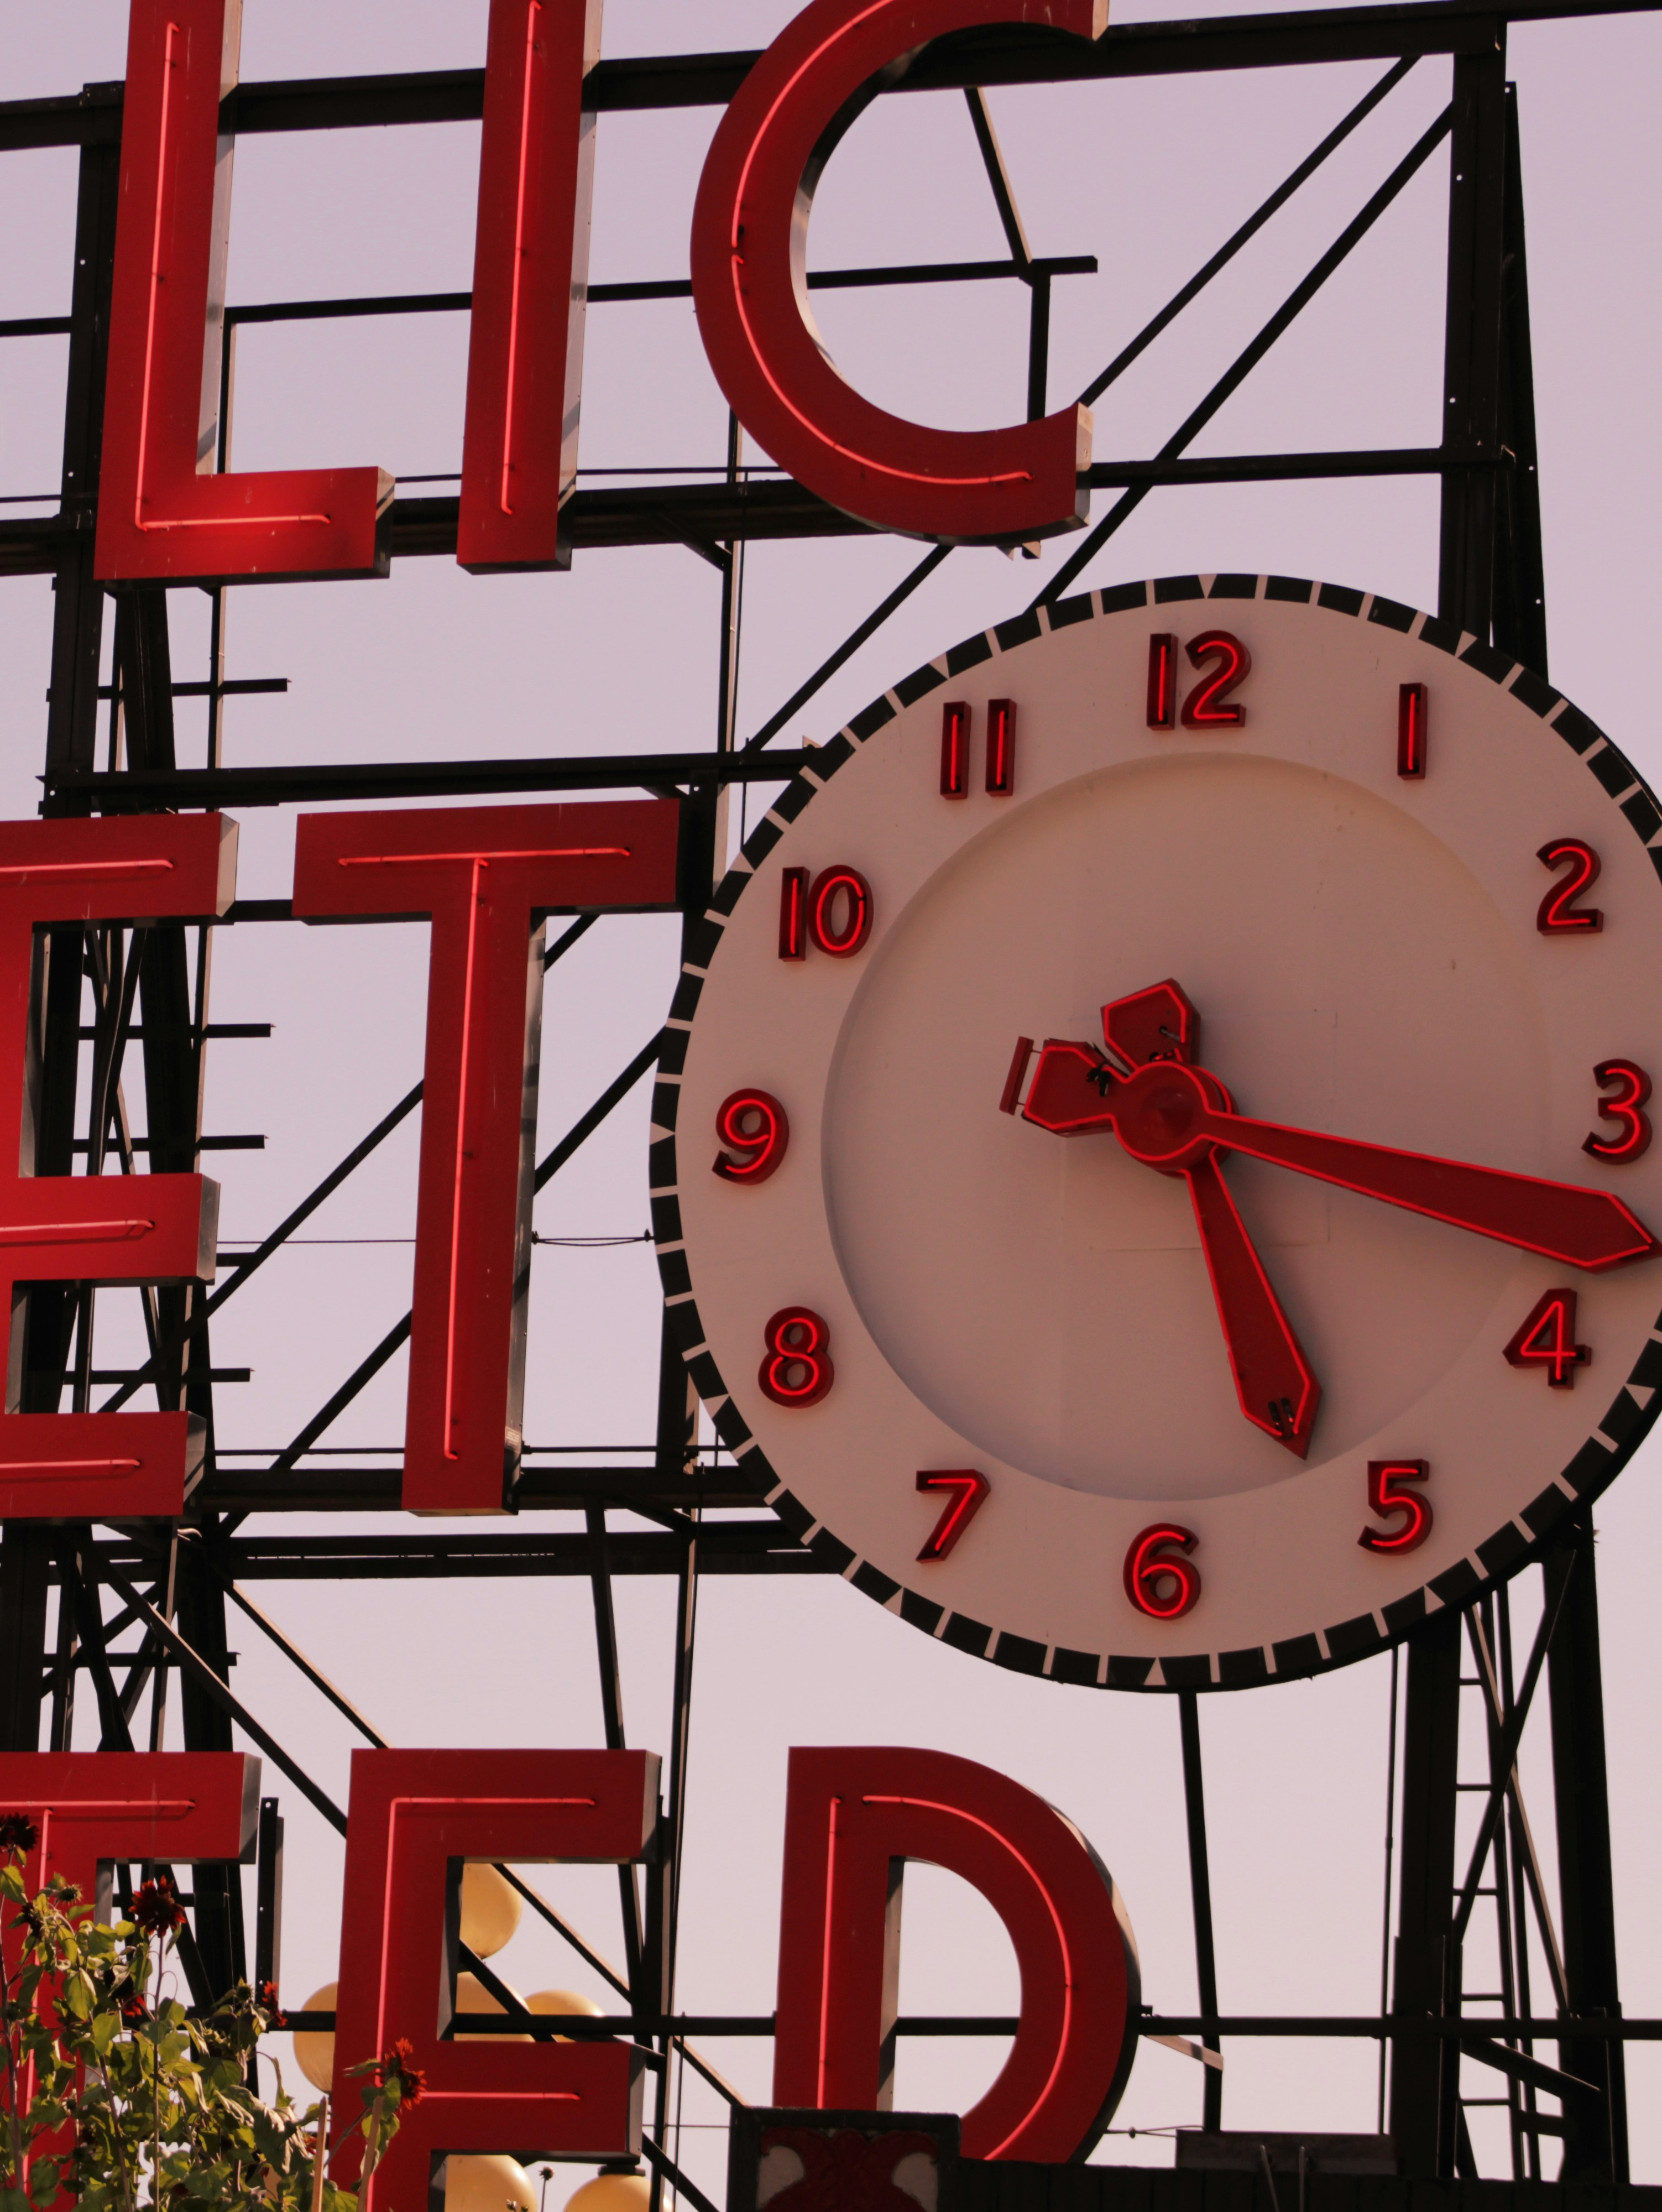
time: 5:17
